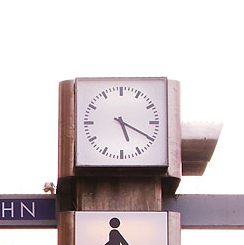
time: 5:19
